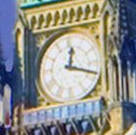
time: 12:18
